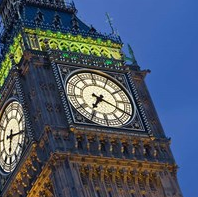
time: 7:19
